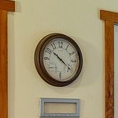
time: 10:21
